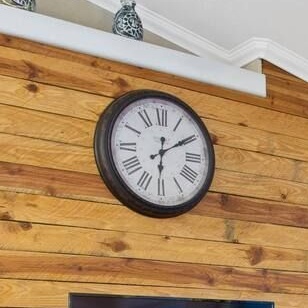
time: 6:09
